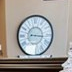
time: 3:16
